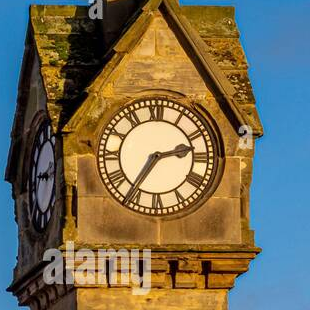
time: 2:35
